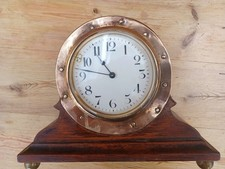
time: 10:46
